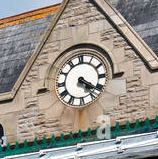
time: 4:20
